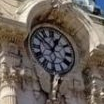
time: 12:52
